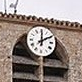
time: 12:09
